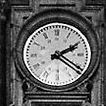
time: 2:20
